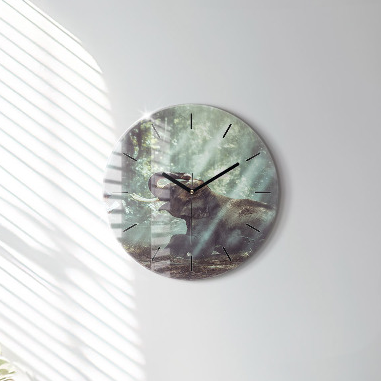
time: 10:09
